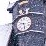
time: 9:28
